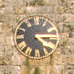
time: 4:14
